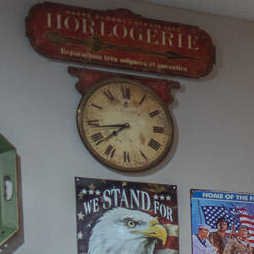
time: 7:43
